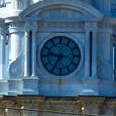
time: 9:34
